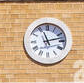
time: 11:12
